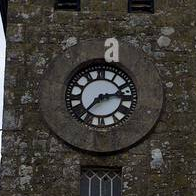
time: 2:36
